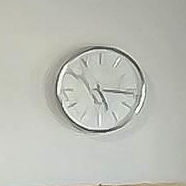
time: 5:15
